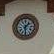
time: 1:30
